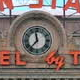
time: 11:37
